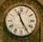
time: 11:24
